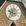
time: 9:36
